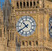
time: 10:39
